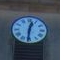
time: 12:30
